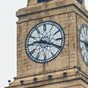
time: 9:18
